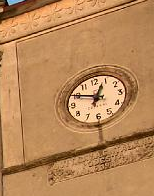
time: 12:49
